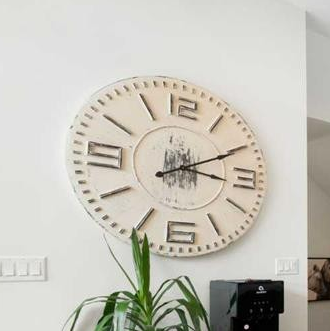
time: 3:10
